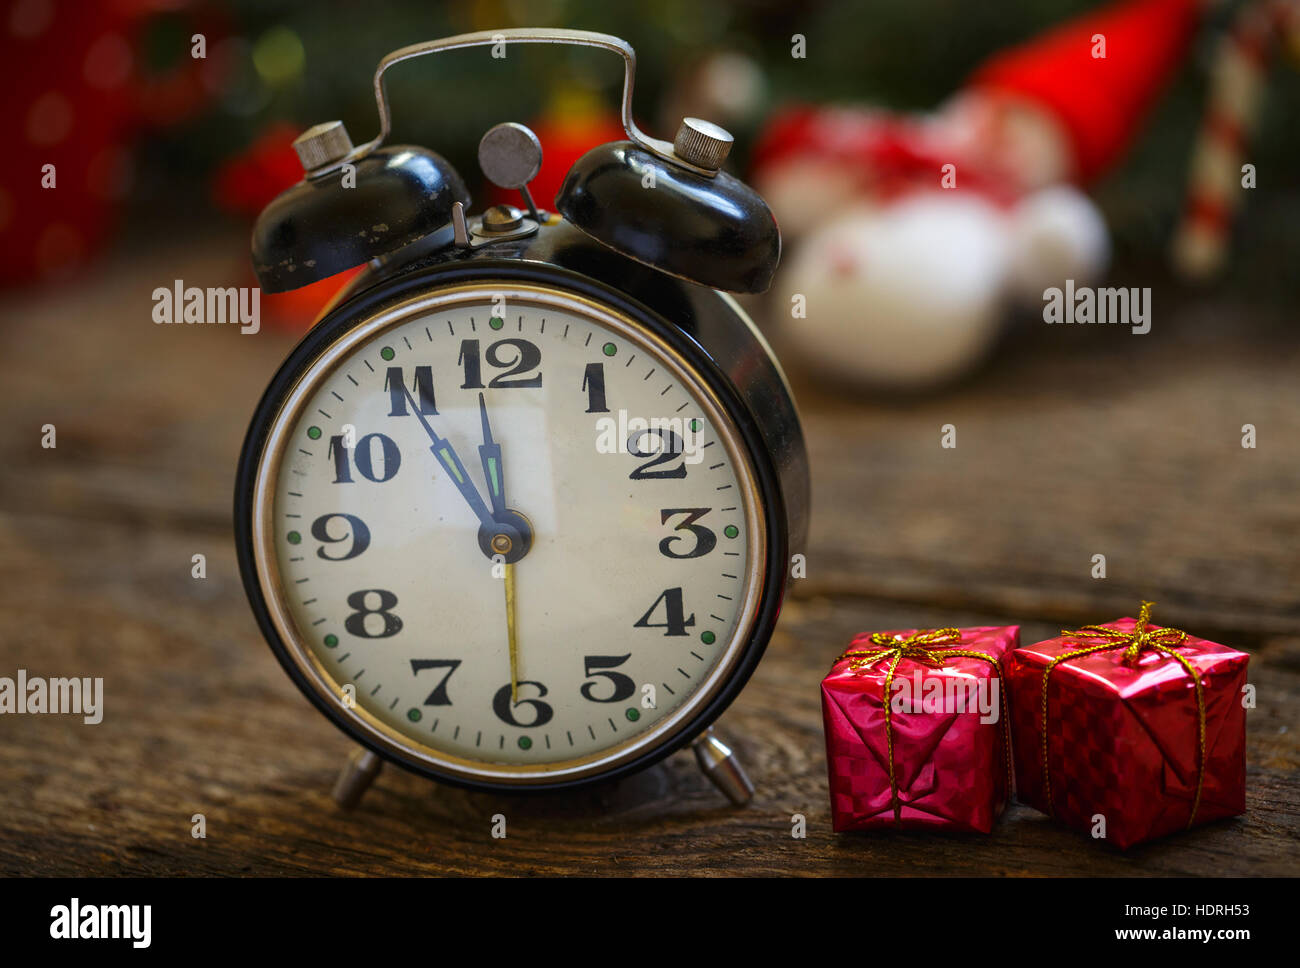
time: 10:59
